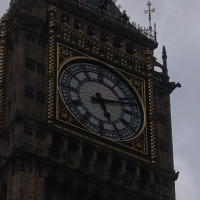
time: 5:12
